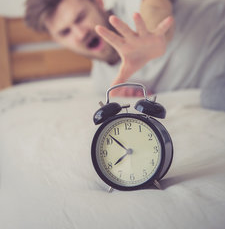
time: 7:52
